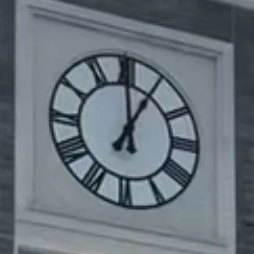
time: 12:59
